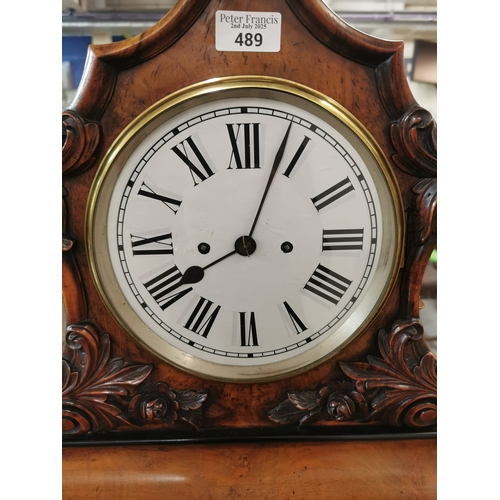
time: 8:03
